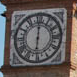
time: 6:00
